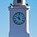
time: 11:50
